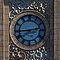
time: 2:44
